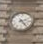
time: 2:23
